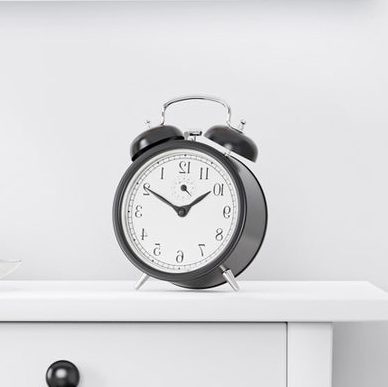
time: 1:50
